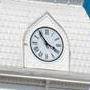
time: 3:54
